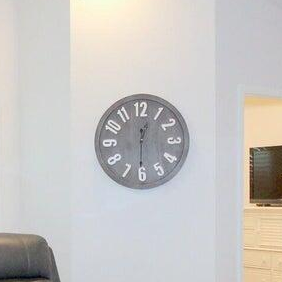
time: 12:30
